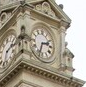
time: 2:33
